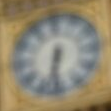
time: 6:32
